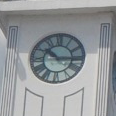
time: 10:15
